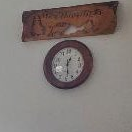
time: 12:28
